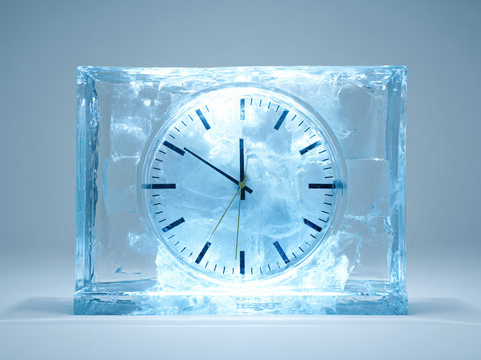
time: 11:50
